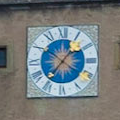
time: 1:36
